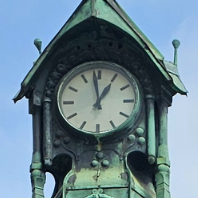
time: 12:58
